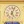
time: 5:03
